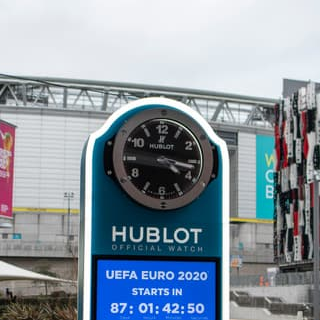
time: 4:16
